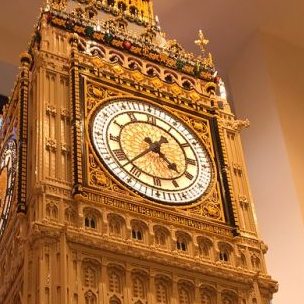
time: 4:37
